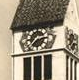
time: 2:36
